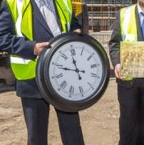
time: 11:48
